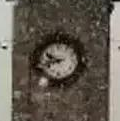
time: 9:42
